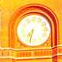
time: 7:32
